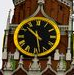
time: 10:28
